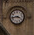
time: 3:43
